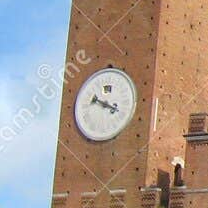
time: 3:48
